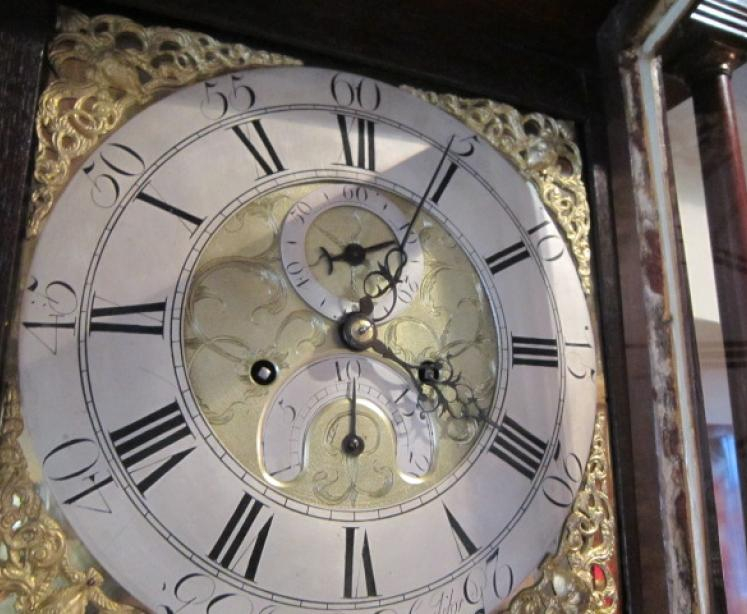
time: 1:19
